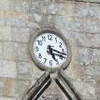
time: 5:17
